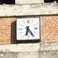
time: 6:23
